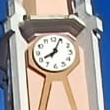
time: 8:04
